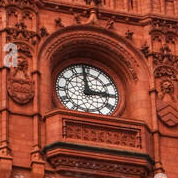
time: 2:58
